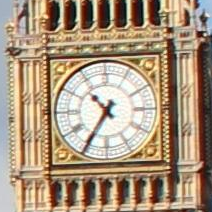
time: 10:35
